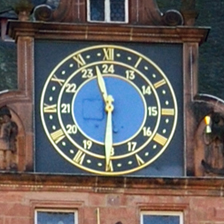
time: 11:30
